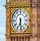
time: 6:28
